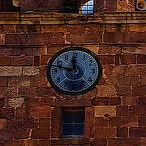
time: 11:47
